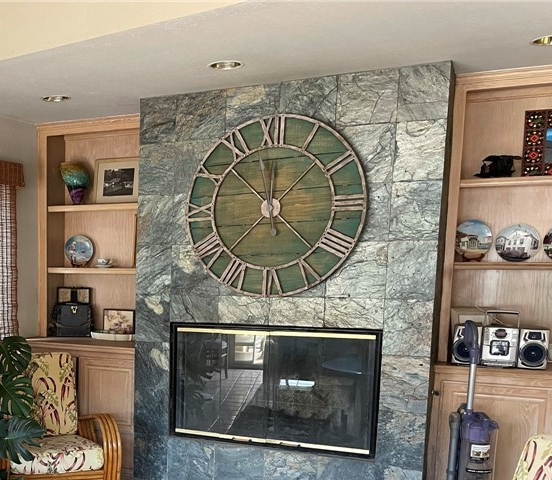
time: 12:07
